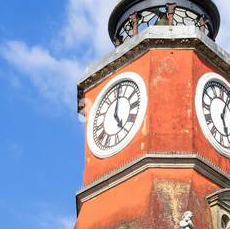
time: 5:01
